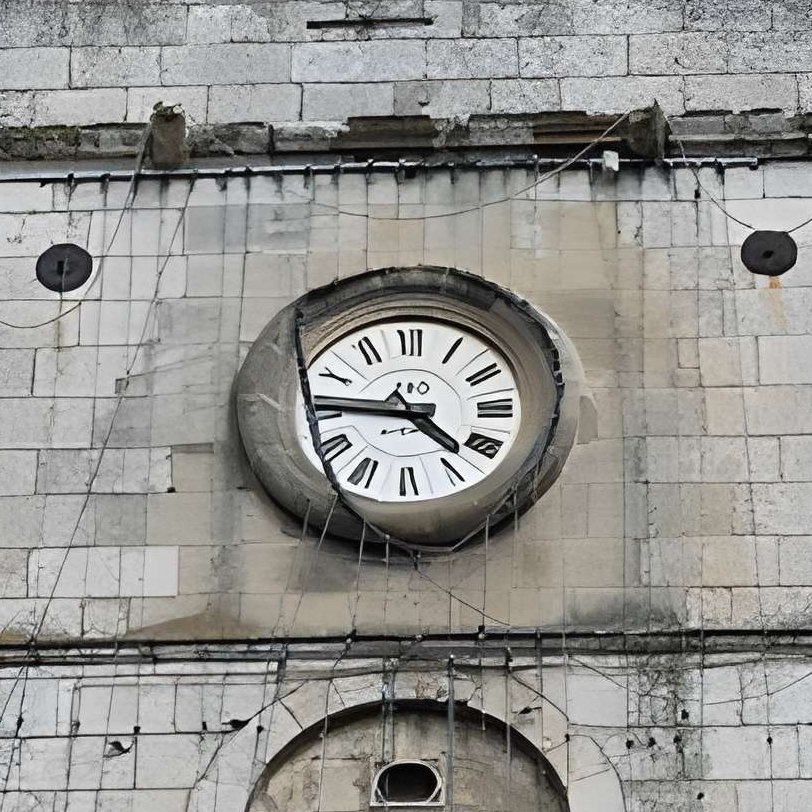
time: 4:45
